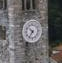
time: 6:52
